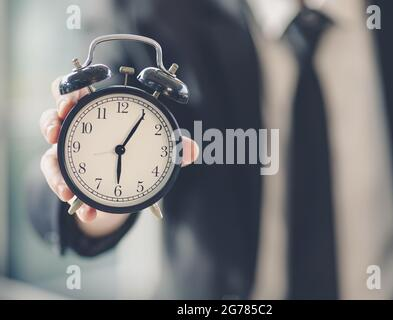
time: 6:05
